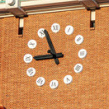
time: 8:56
